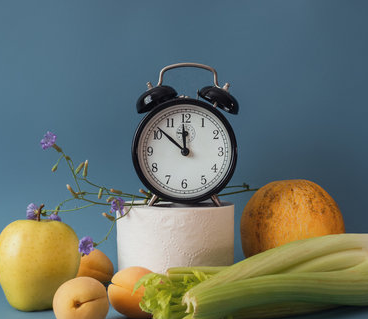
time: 11:51
